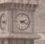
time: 2:18
